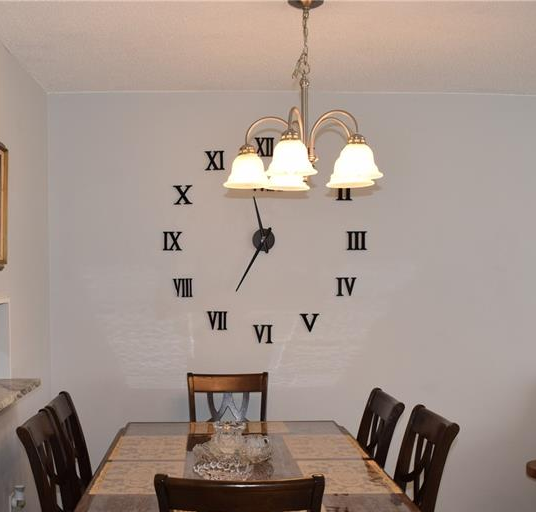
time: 6:58
